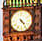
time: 4:23
